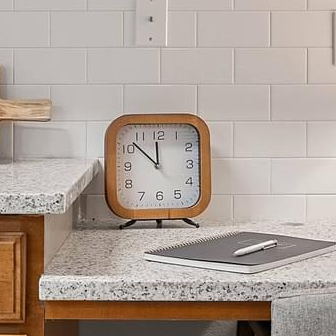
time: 11:52
